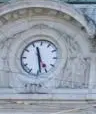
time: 11:28
